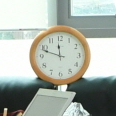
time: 11:48
